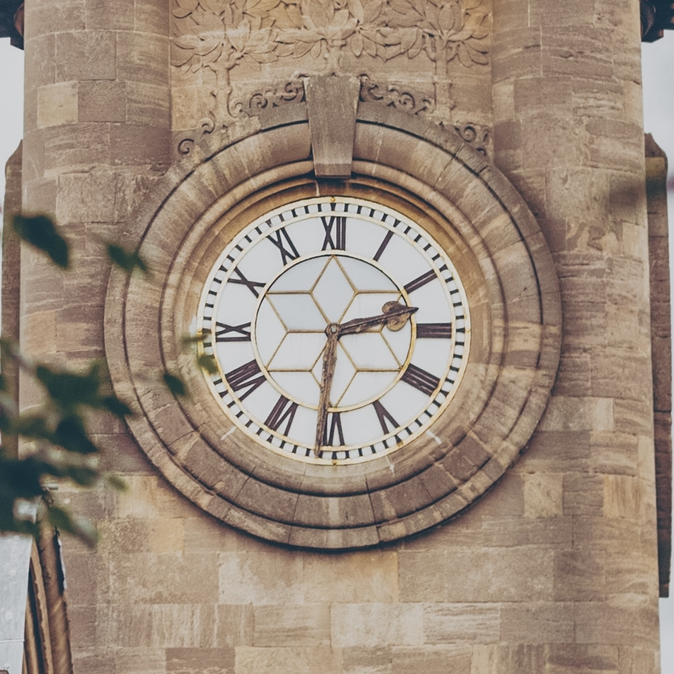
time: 2:30
